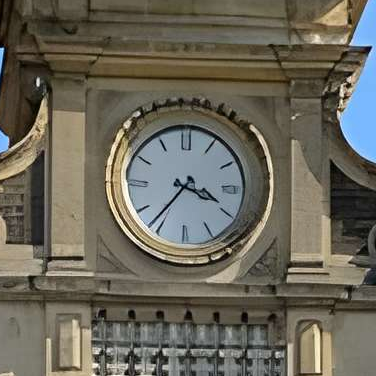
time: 3:36
